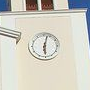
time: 6:02
